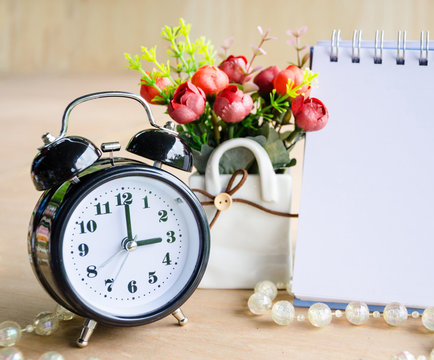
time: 3:00
